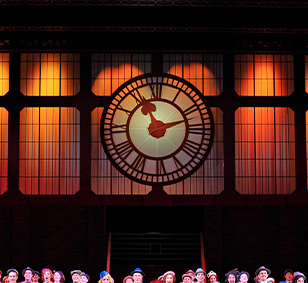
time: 11:12
